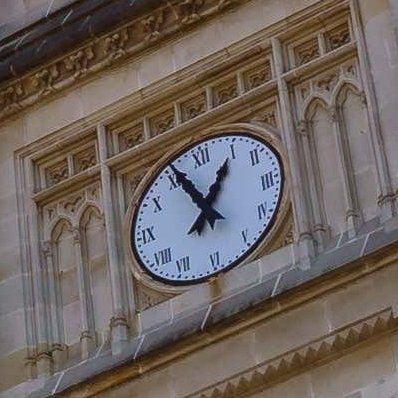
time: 12:55
